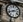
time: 2:41
